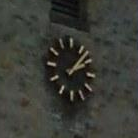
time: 2:07
